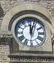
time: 12:03
